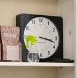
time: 3:17
